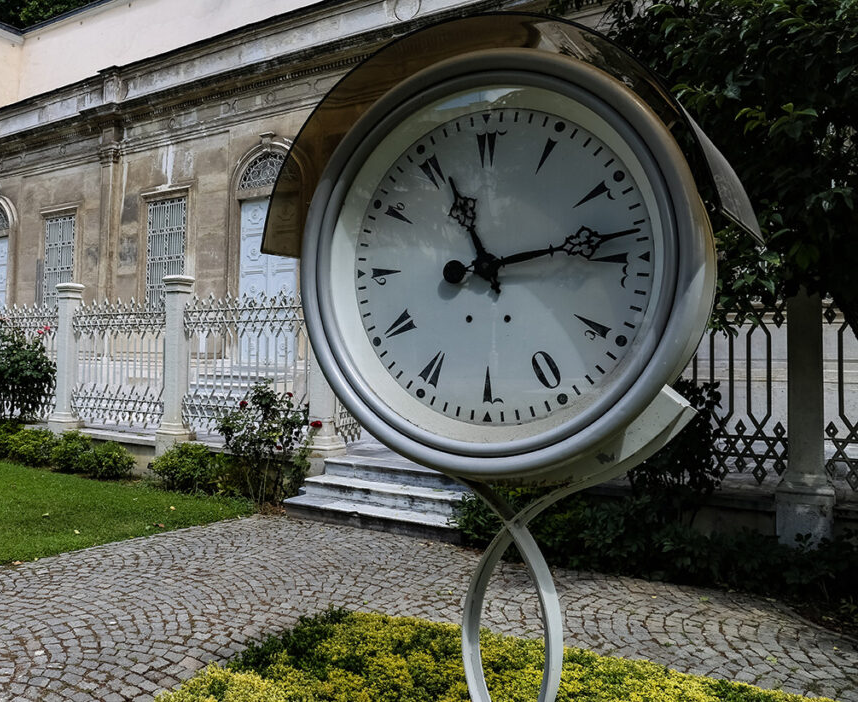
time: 11:13
